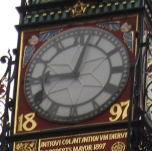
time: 9:02
